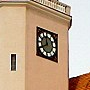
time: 11:40
